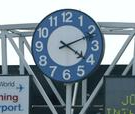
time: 4:11
